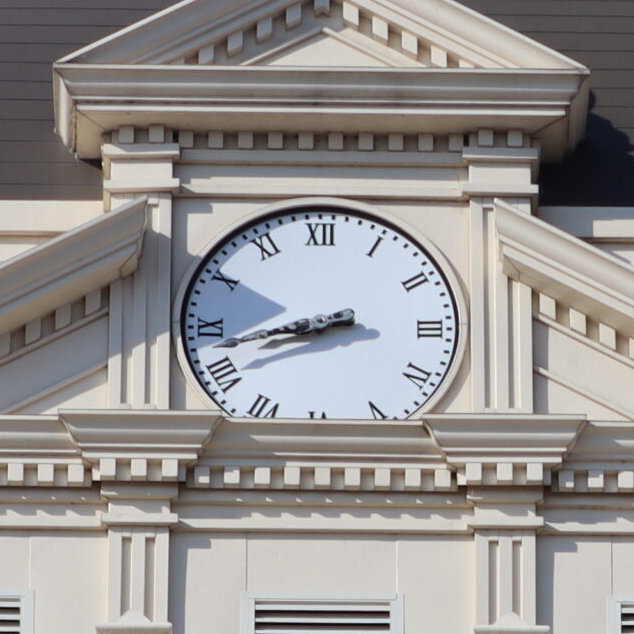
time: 8:42
